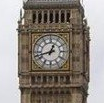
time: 12:42
